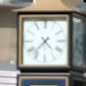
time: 4:37
